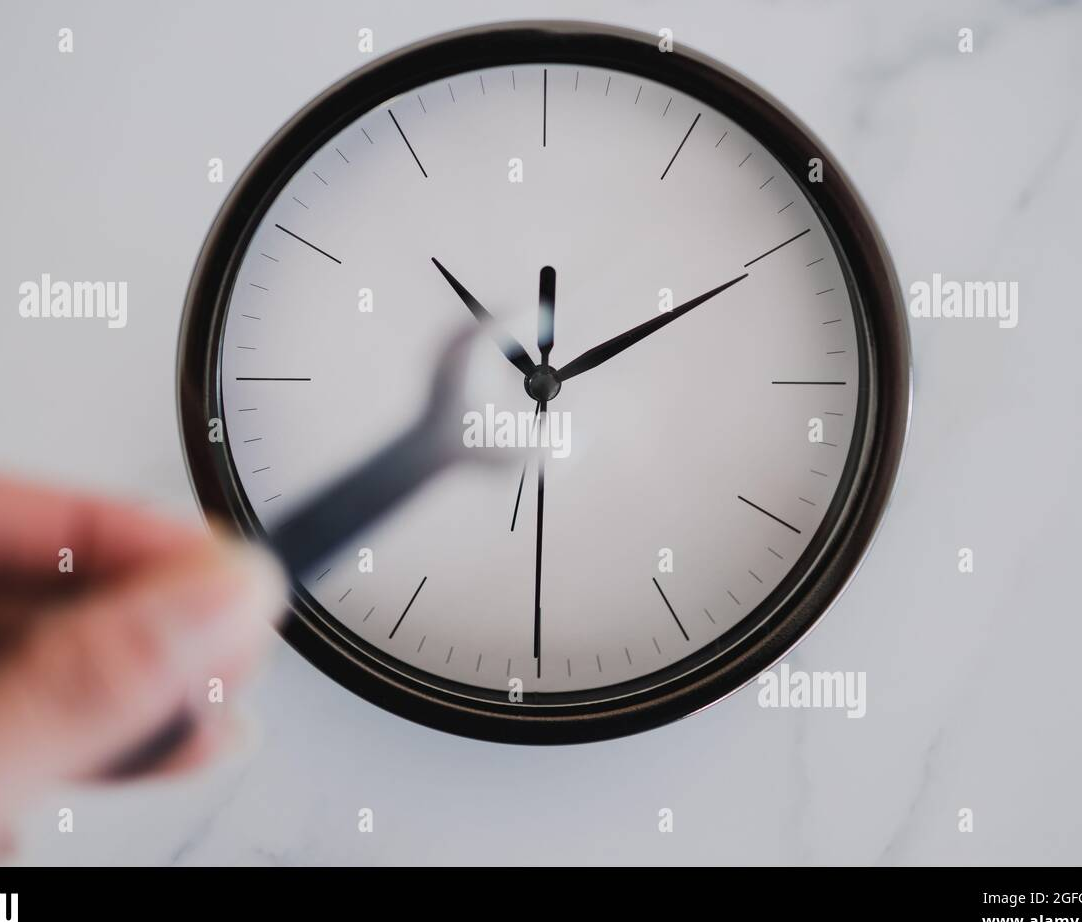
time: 12:09
